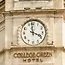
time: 3:58
